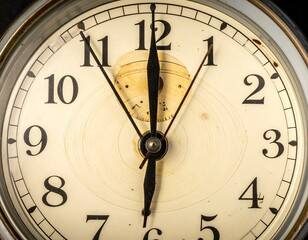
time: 6:00
